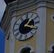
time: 1:18
